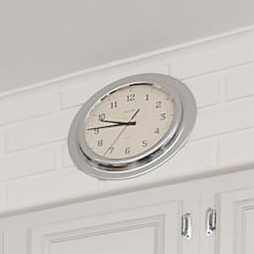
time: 9:45
